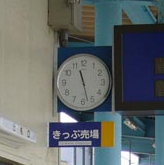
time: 11:27
